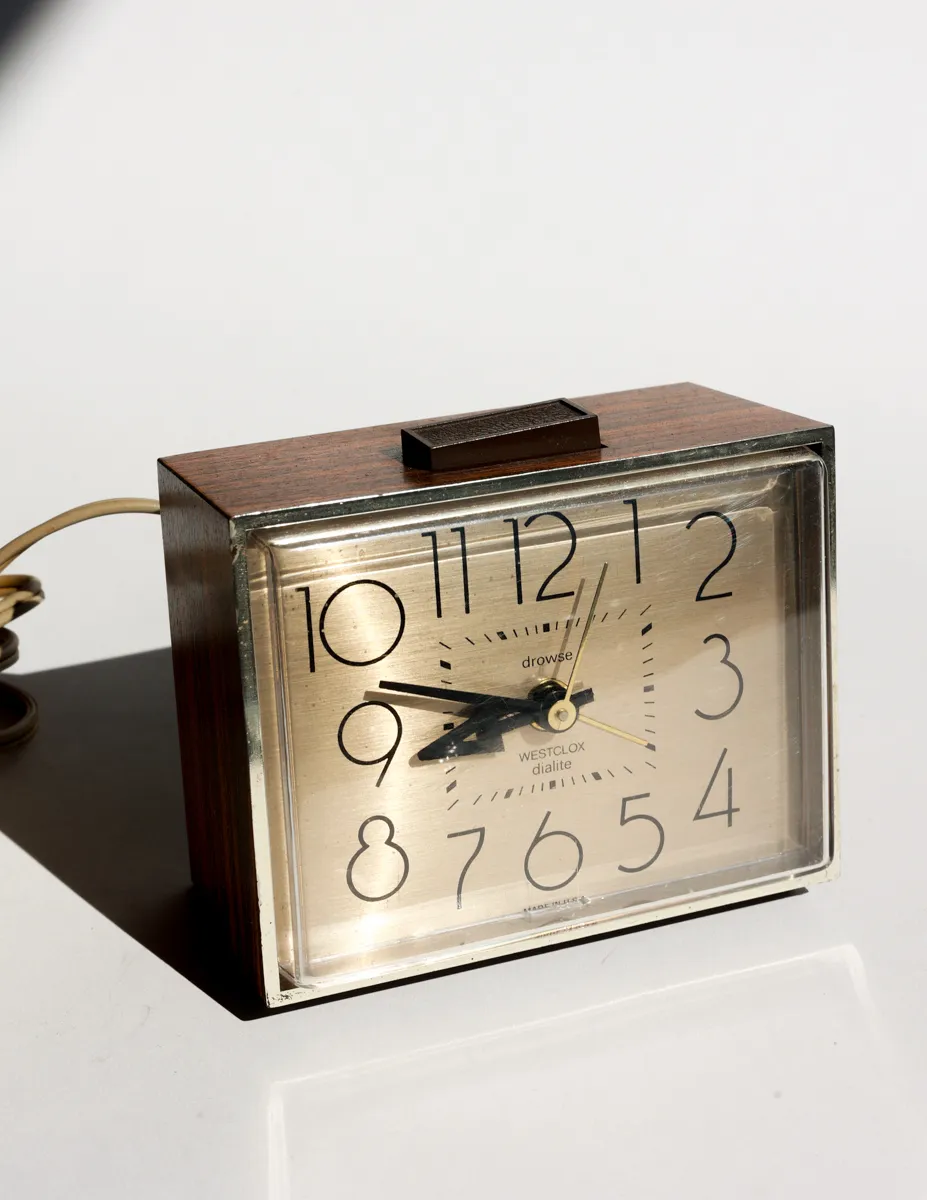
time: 8:47
